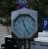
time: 11:25
